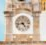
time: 4:42
